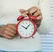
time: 10:07
